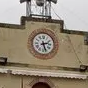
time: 2:26
